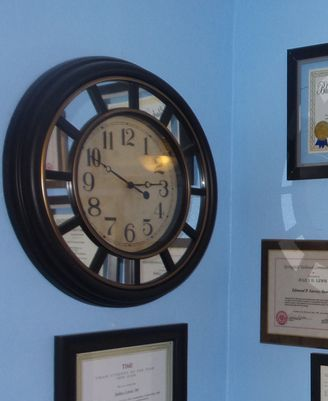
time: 3:49
